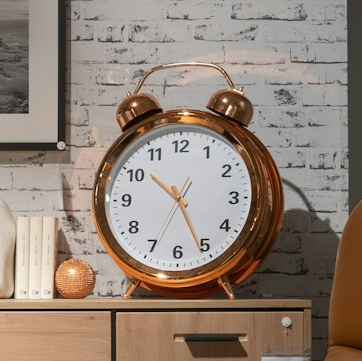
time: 10:25
